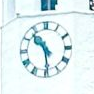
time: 10:29
